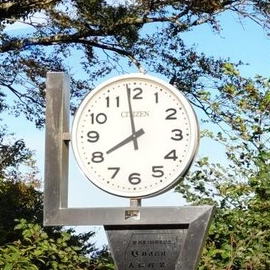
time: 7:58
